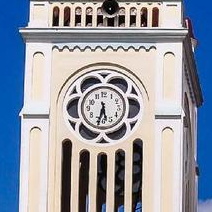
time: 5:32
